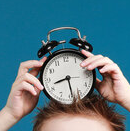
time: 8:28
